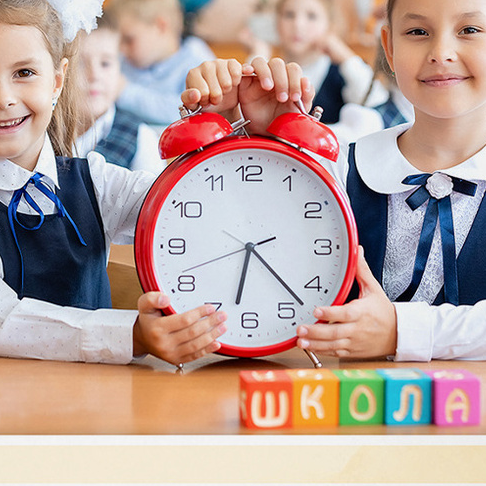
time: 6:22
